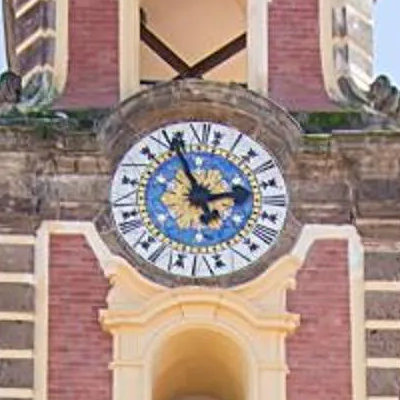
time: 2:54
